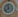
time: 11:37
